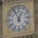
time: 12:55
